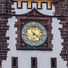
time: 6:21
